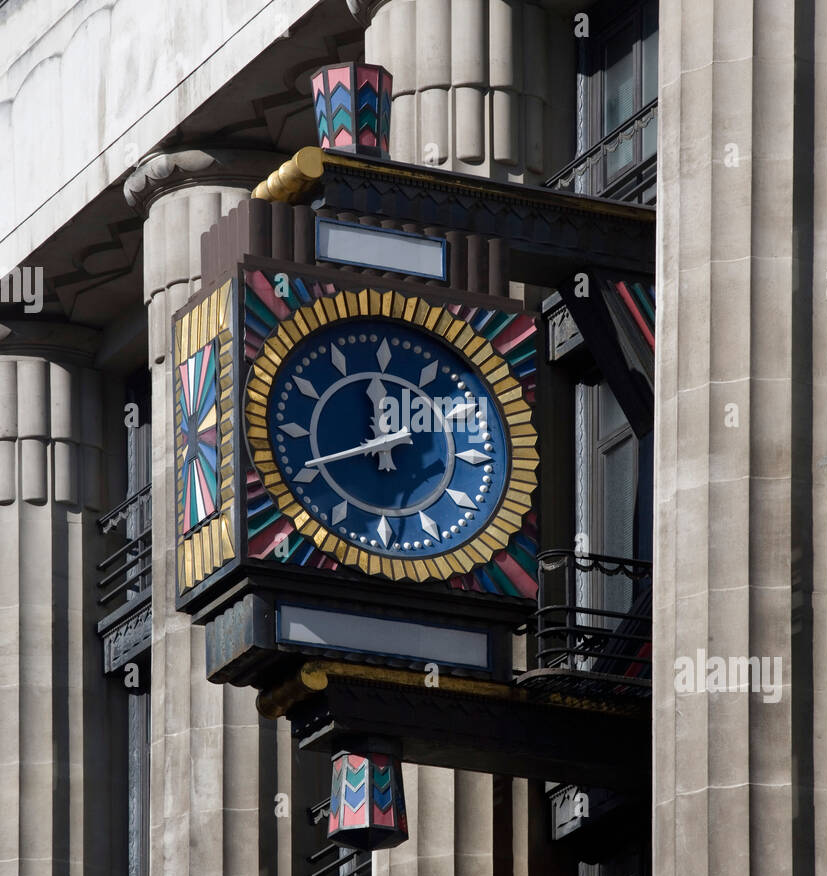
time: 11:41
